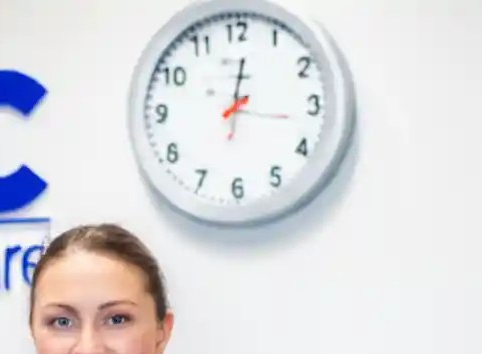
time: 12:16
